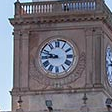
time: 8:47
